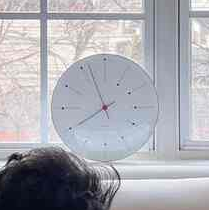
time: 7:56
